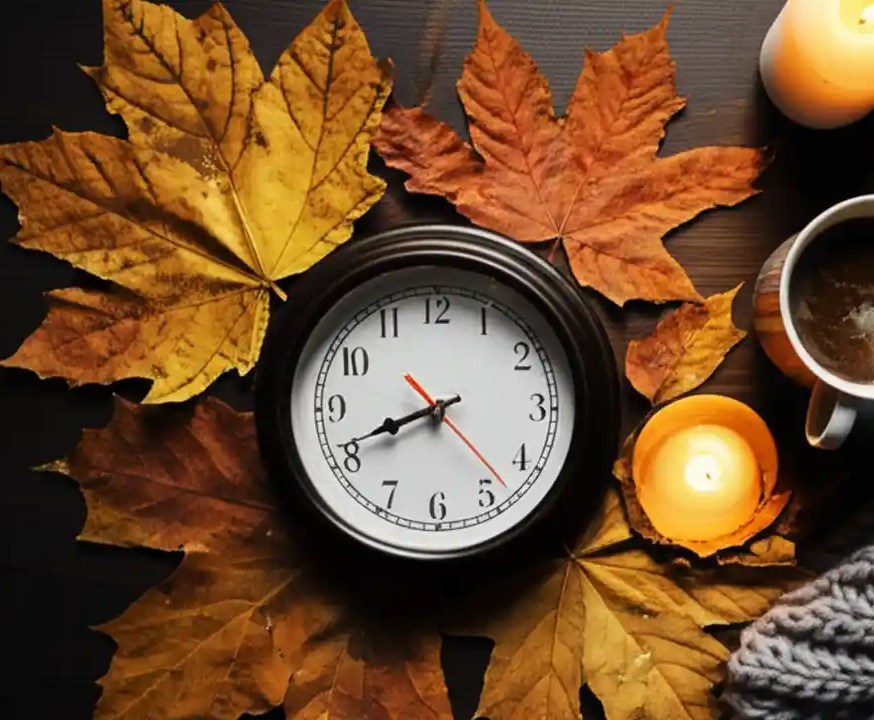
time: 8:41
